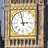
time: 2:57
